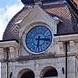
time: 6:15
